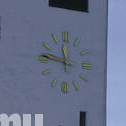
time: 11:46
